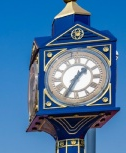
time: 1:34
